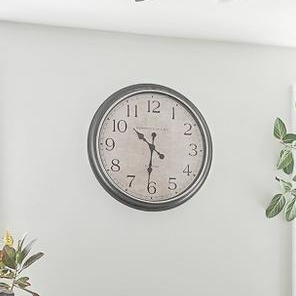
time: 10:30
